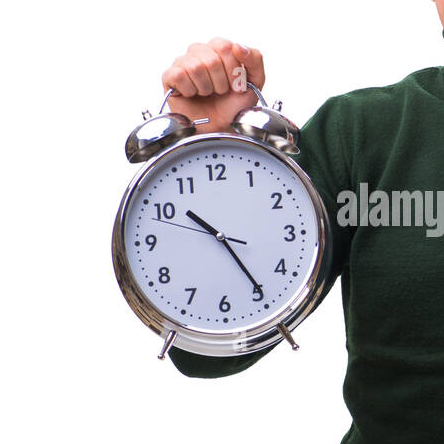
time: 10:24
